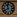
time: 11:40
